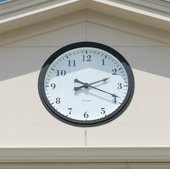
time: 2:18
